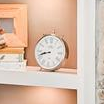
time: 8:42
